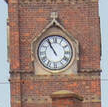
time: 10:55
